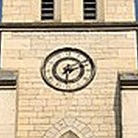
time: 6:11
